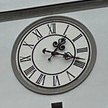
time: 1:18
